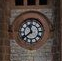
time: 11:38
